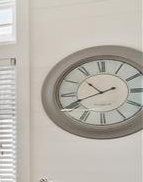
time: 10:40
